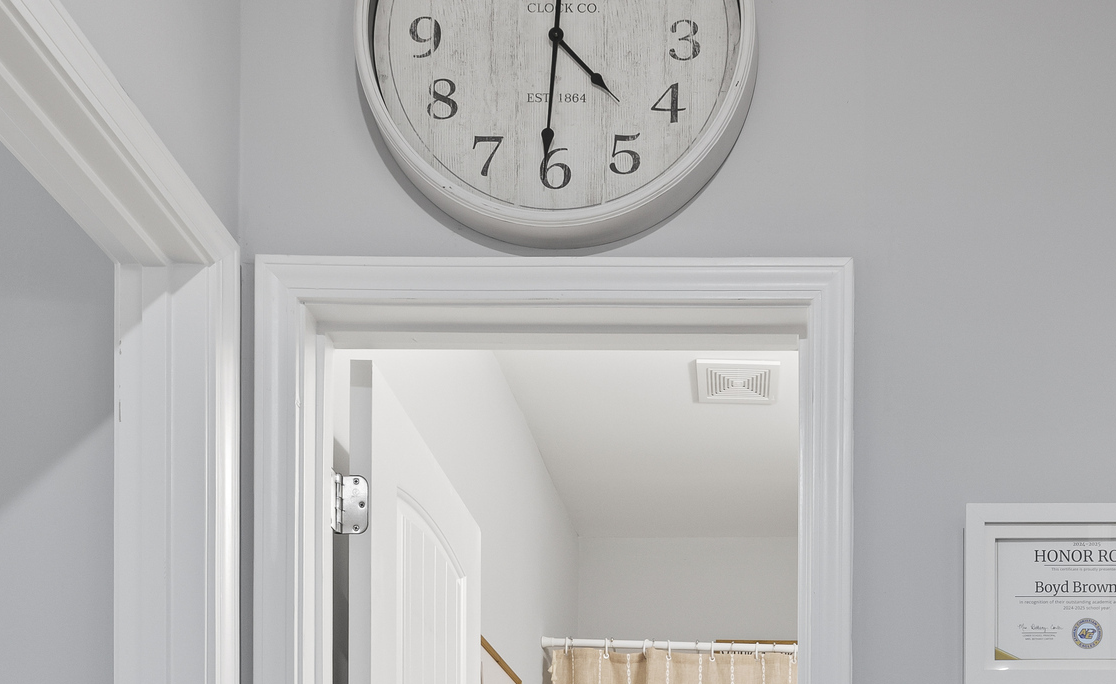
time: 4:30
